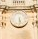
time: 5:30
